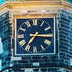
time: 7:15
